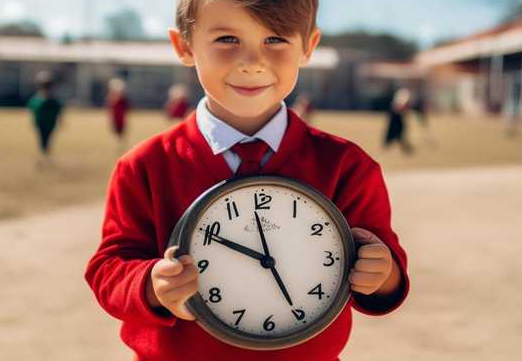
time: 4:49
